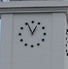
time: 12:55
